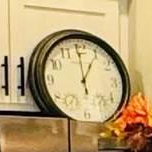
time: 12:59
